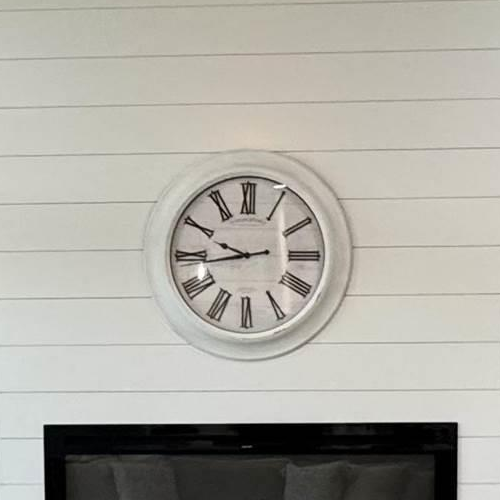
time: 9:43
